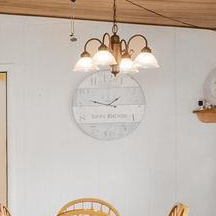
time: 1:47
